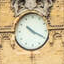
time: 10:19
